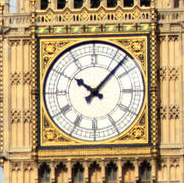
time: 10:07
